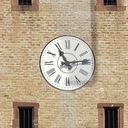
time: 11:13
